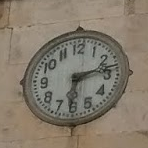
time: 6:13
